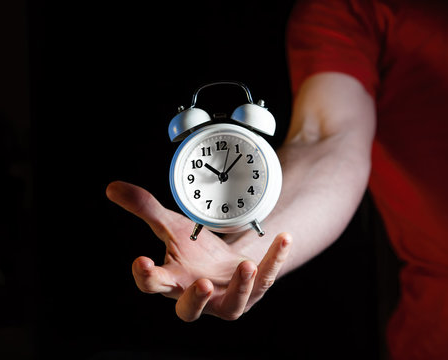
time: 10:07
